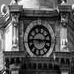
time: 2:45
